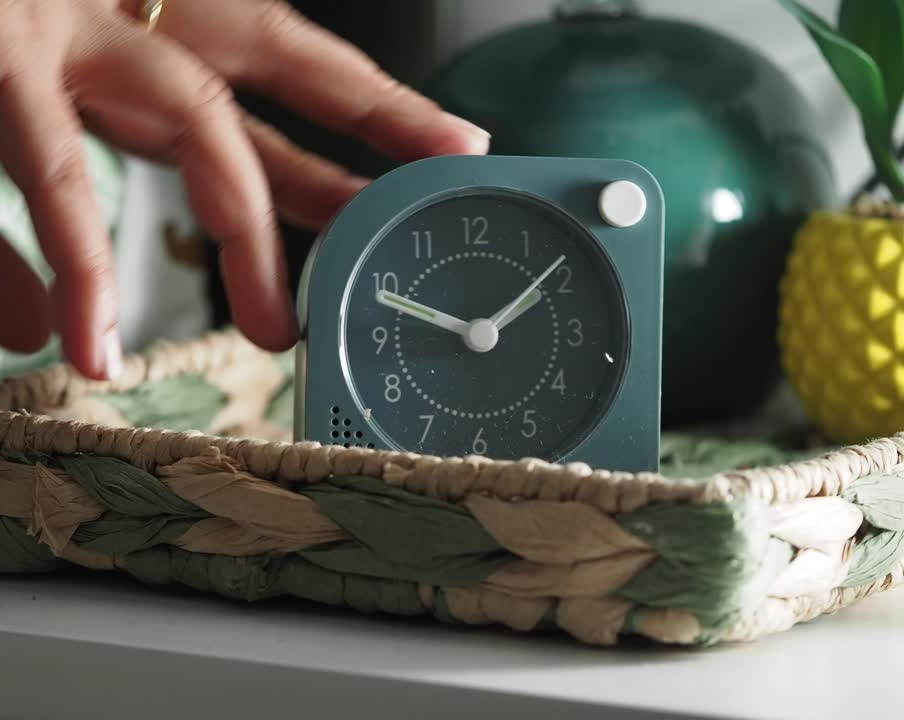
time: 1:48
